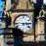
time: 2:45
